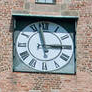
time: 2:57
